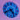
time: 4:40
